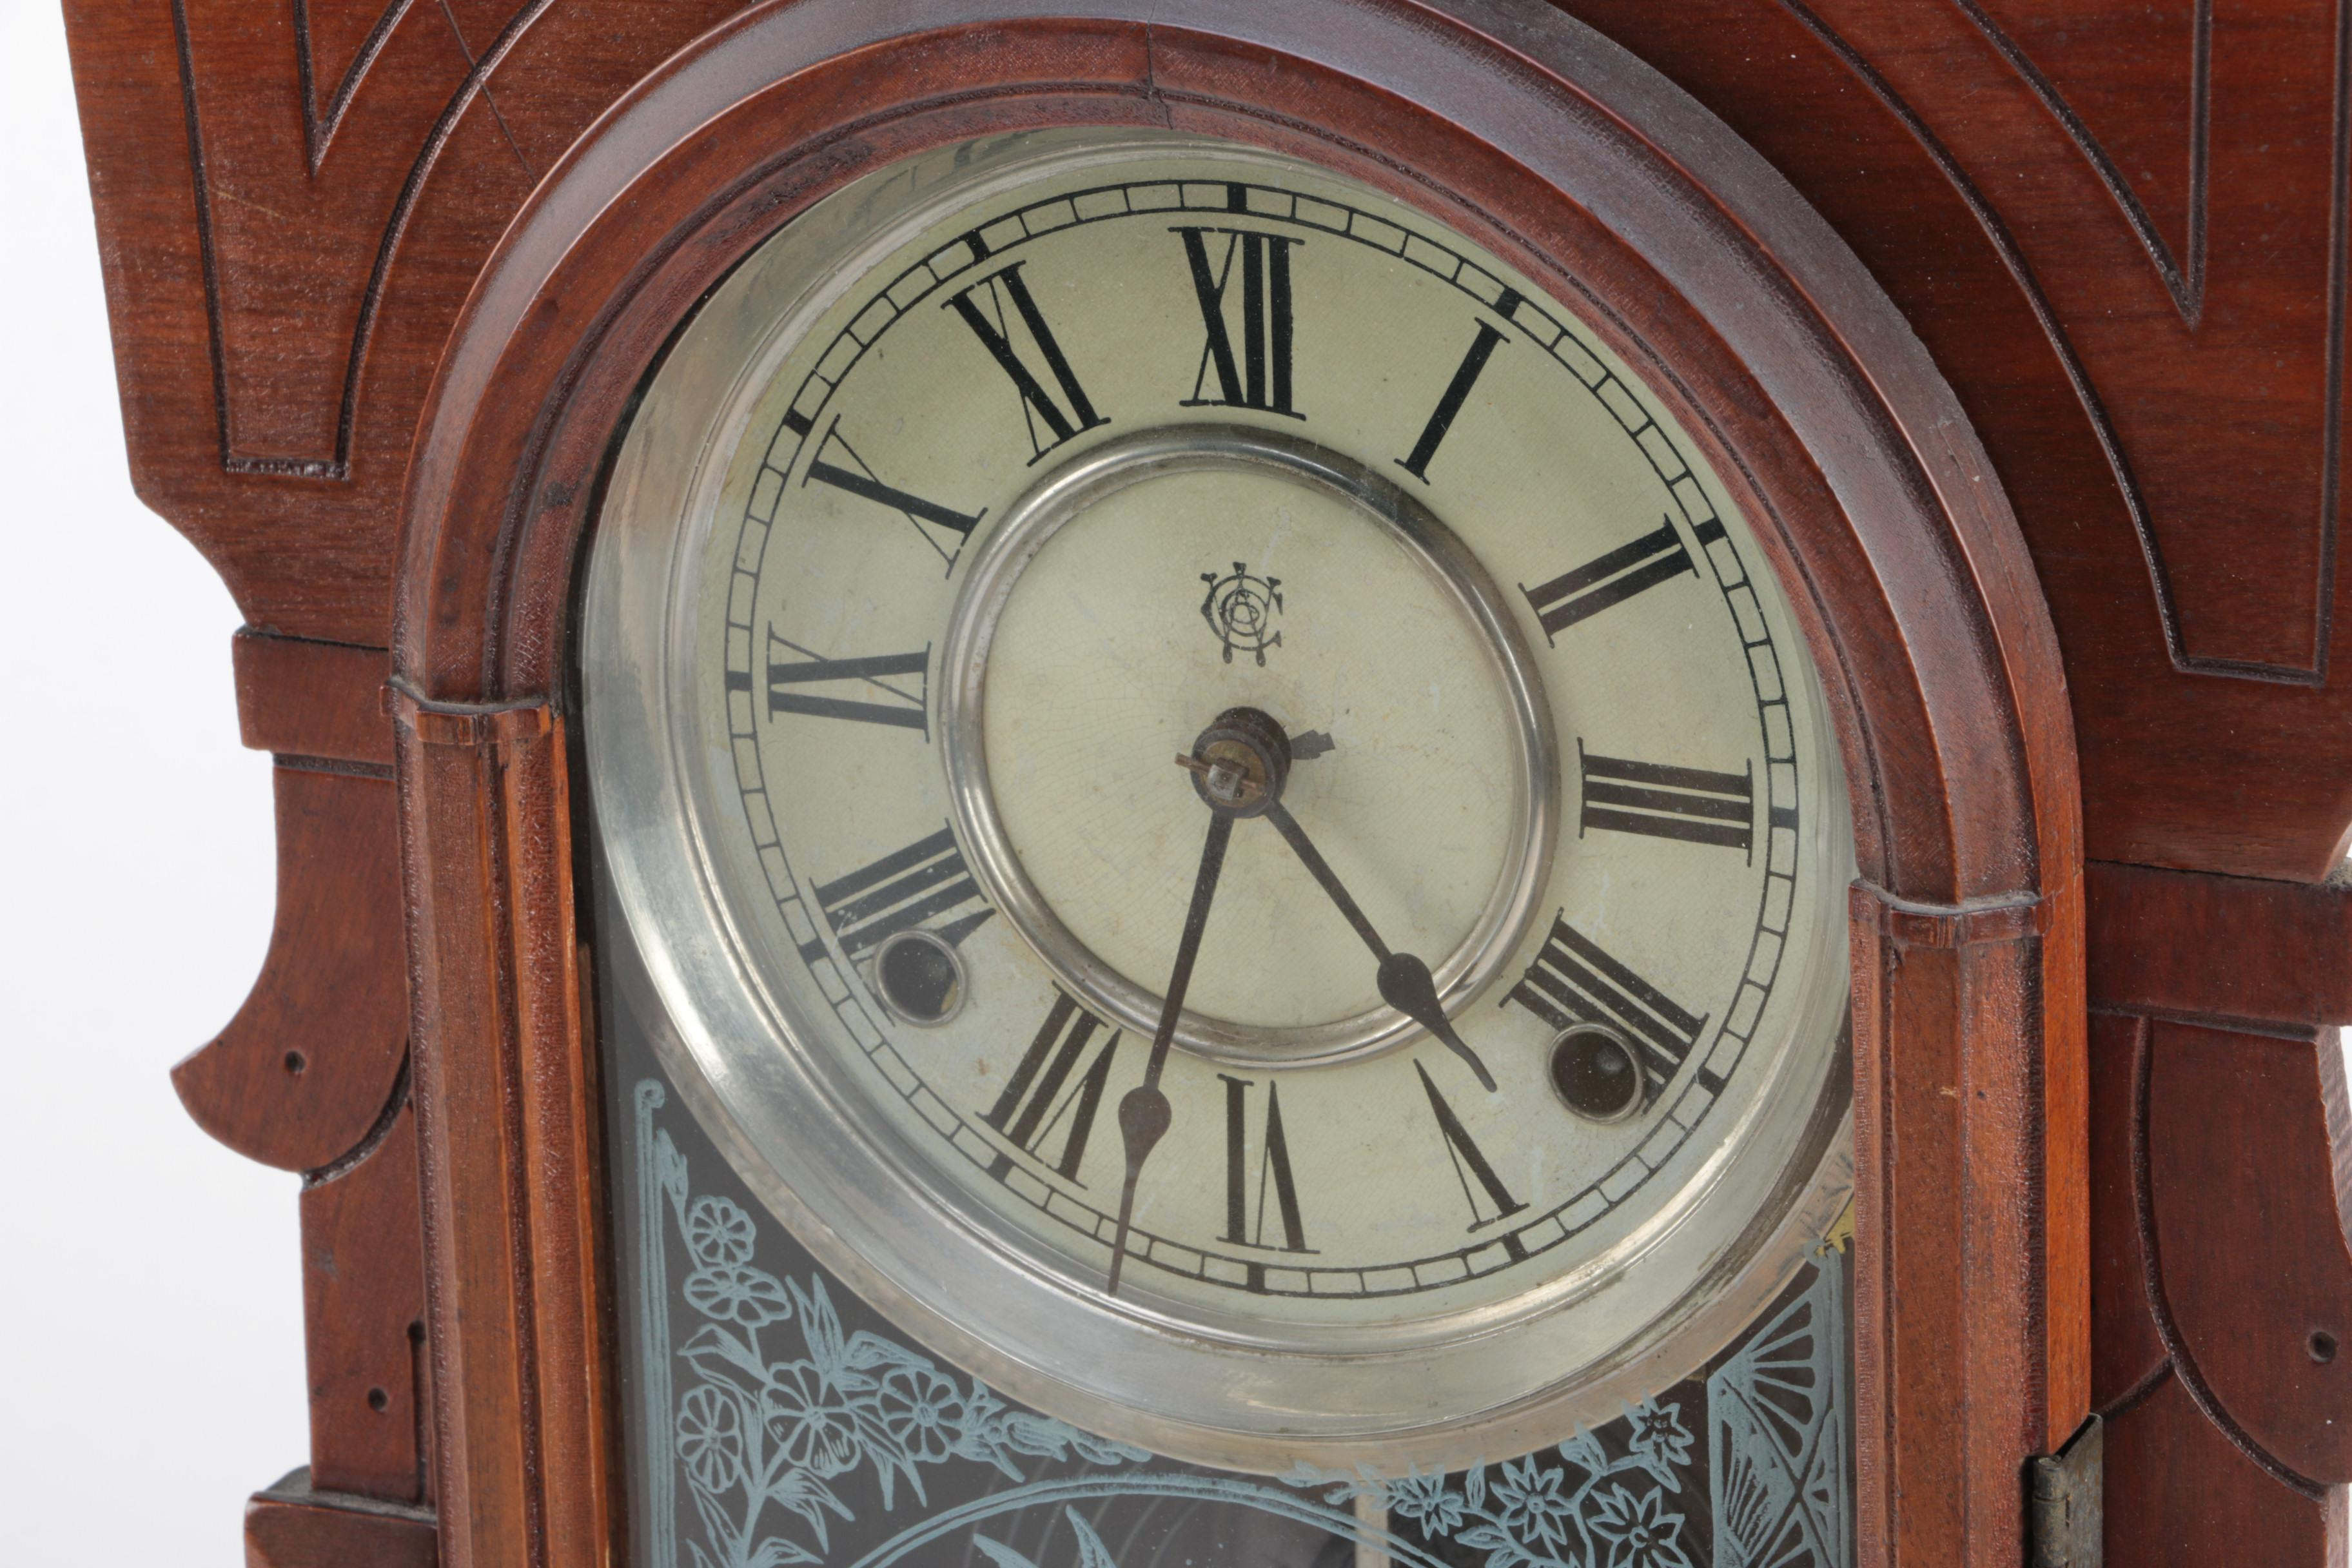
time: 4:33
